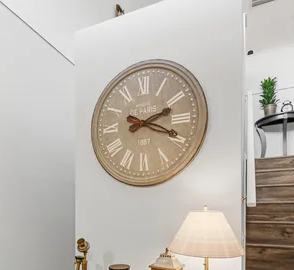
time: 2:18
